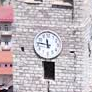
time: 11:46
